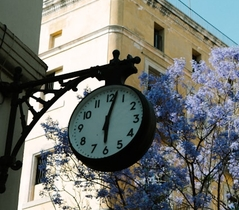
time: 6:02
